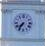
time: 7:36
